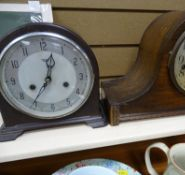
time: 12:35
